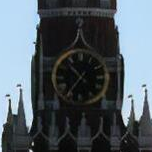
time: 10:36
